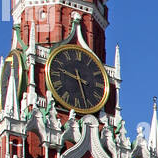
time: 9:27
